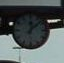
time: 12:07
